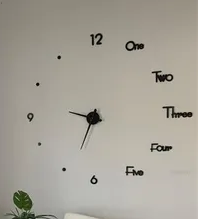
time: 3:33
